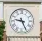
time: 9:26
